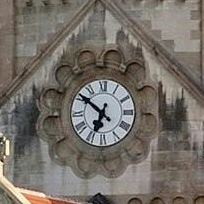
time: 6:51
